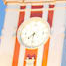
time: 7:31
